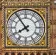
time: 7:53
